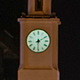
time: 6:10
